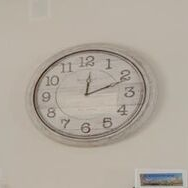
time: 12:11
